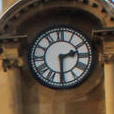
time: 2:30
